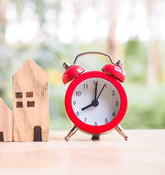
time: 8:01
